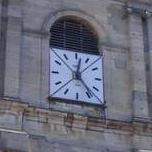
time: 12:23
